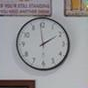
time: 1:59
